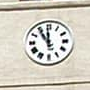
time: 11:54
